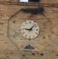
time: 9:07
